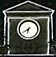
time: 6:40
